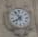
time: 7:54
